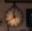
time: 11:38
